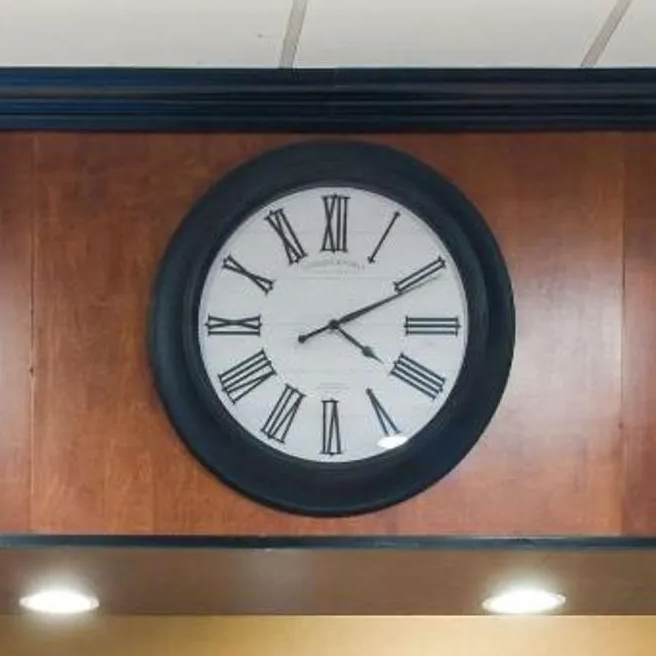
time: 4:10
